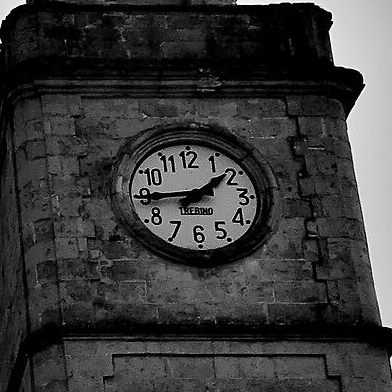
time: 1:44
